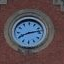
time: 8:12
